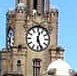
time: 12:26
